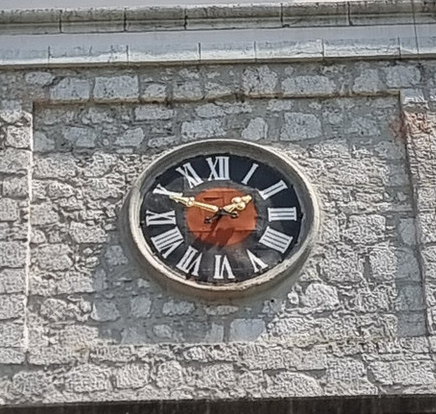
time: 1:49
